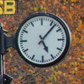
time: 5:06
